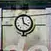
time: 3:58
